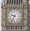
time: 9:34
